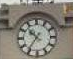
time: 10:36
